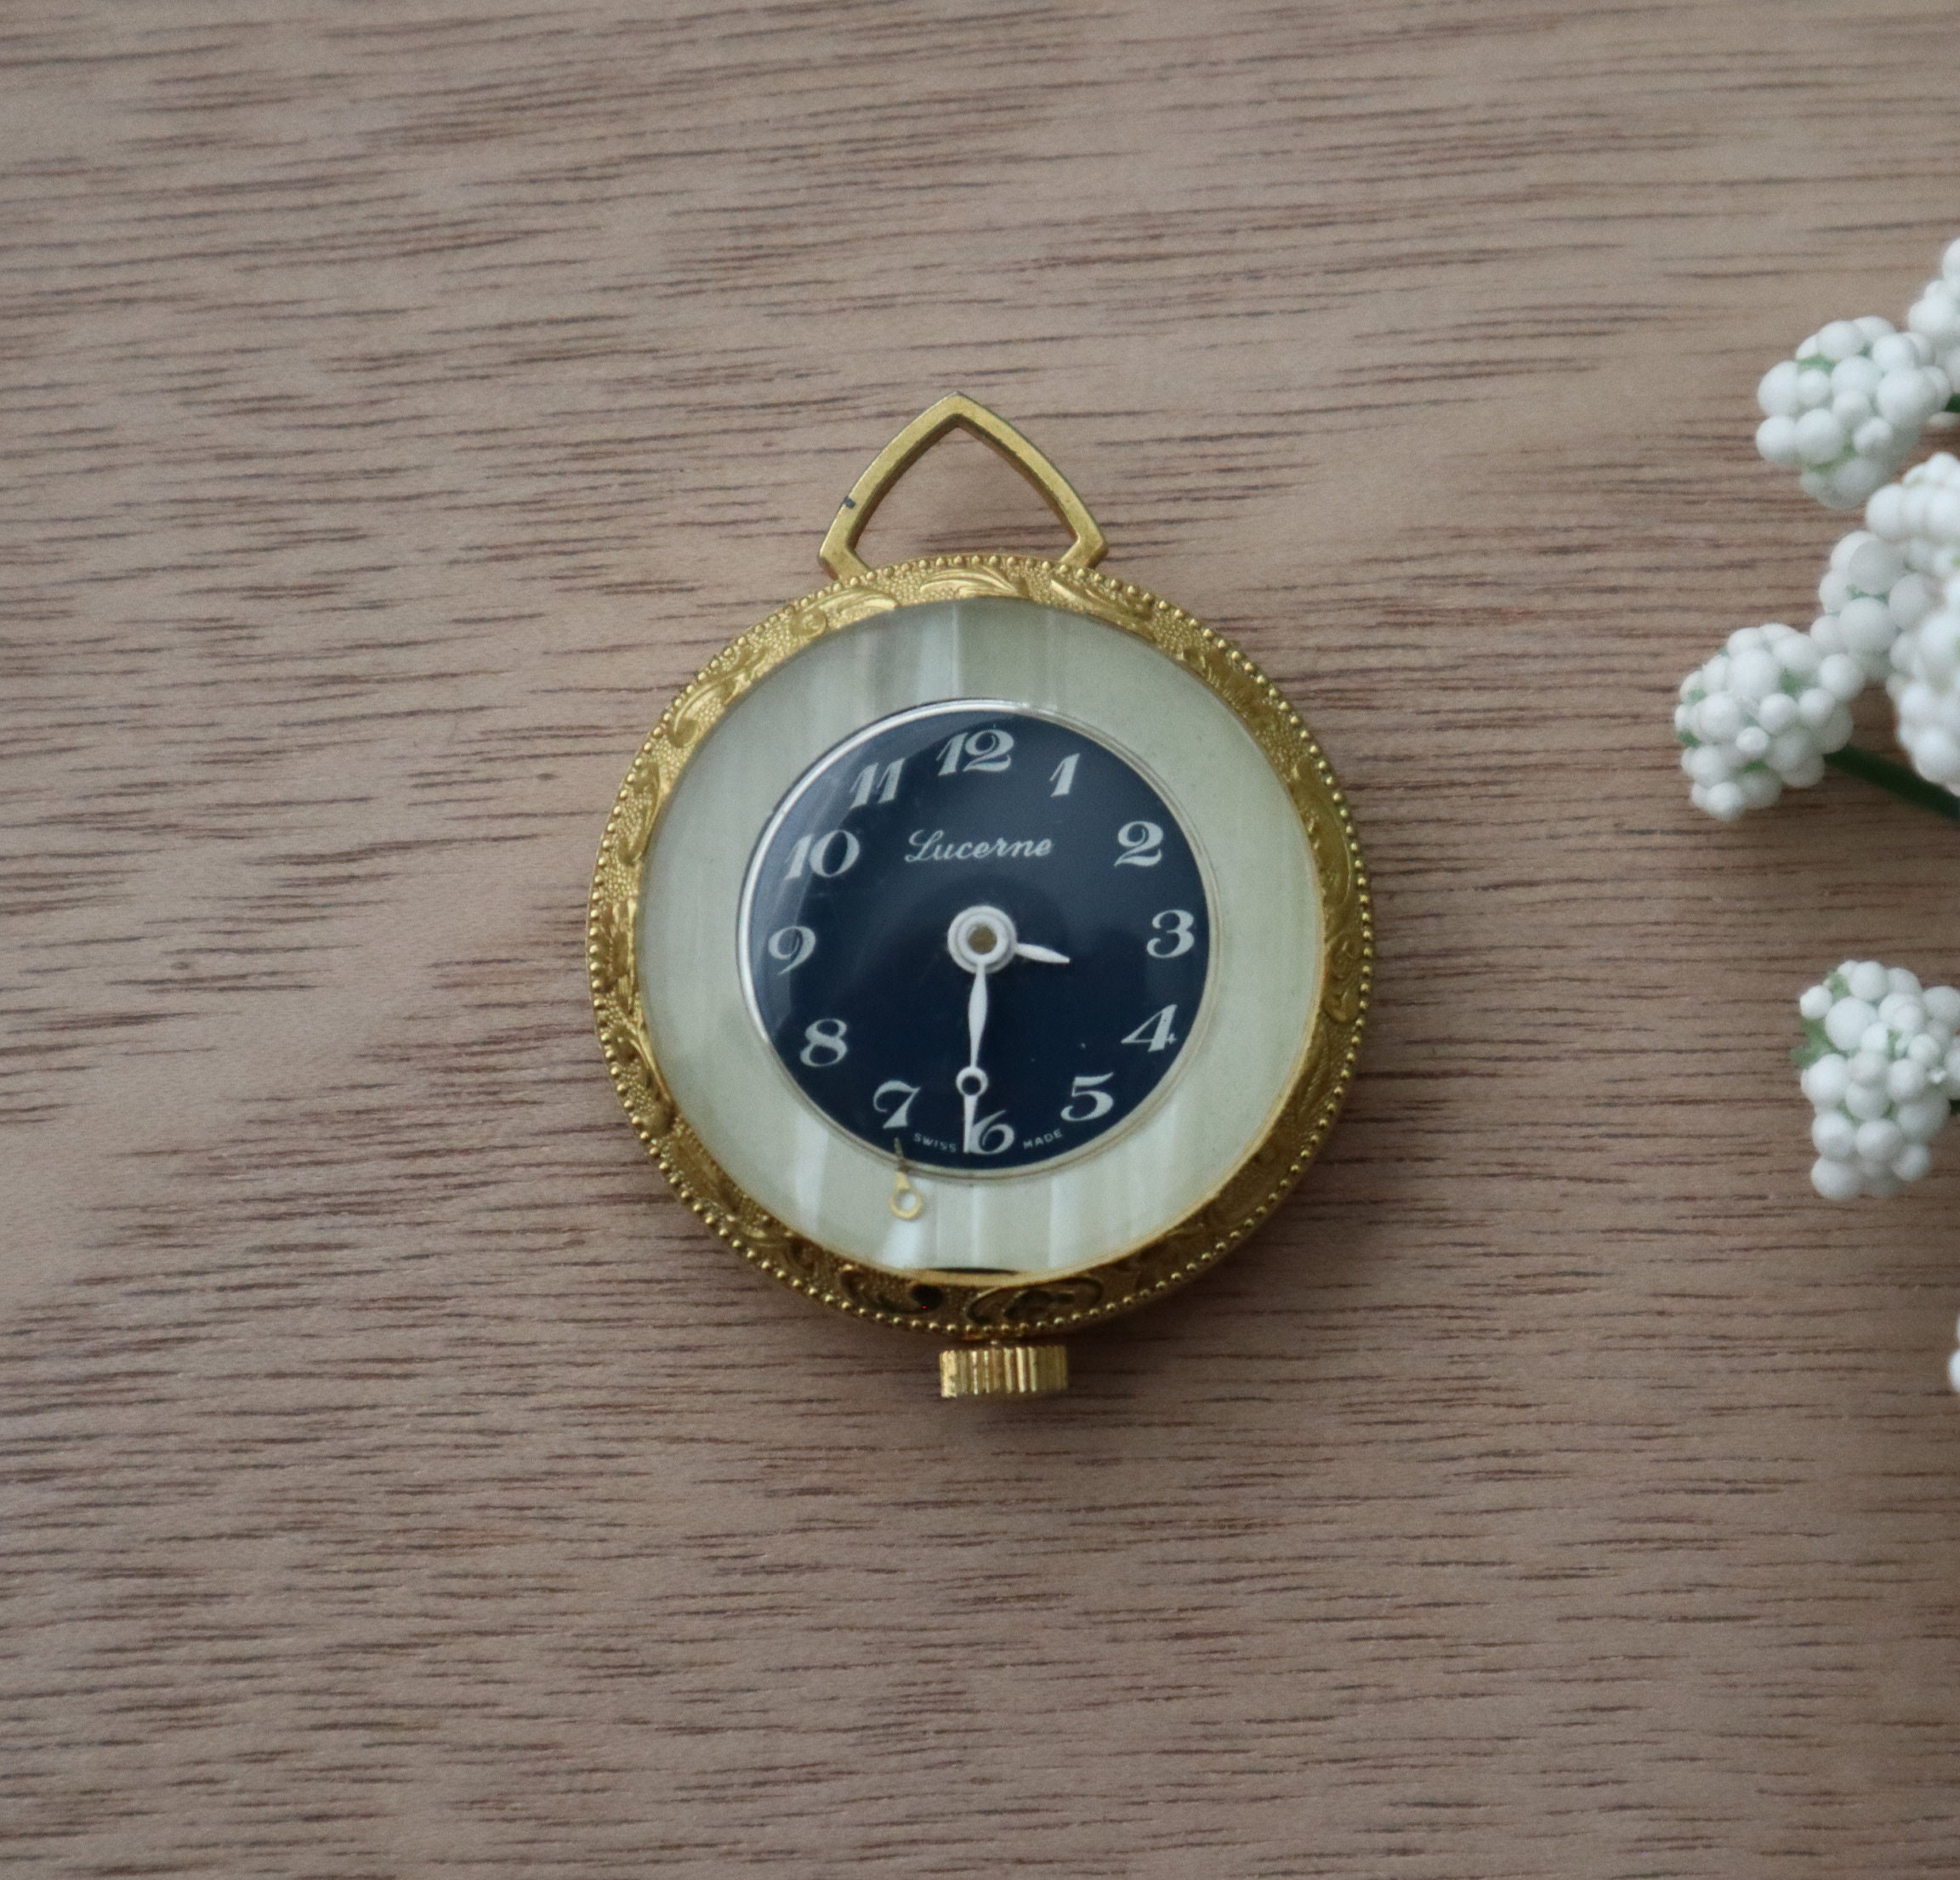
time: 3:30
